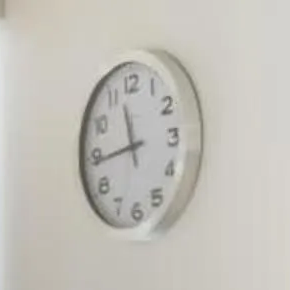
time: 11:44
